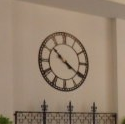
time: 10:20
